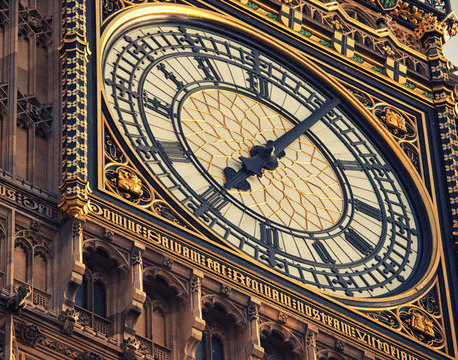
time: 7:06
